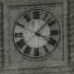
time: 4:07
